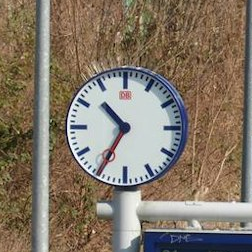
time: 10:34
